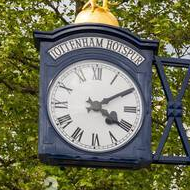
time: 4:09
